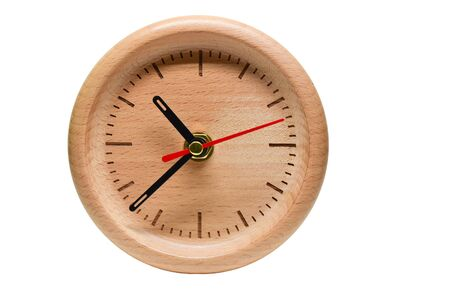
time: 10:37
